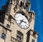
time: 3:37
